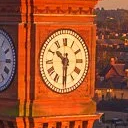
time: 10:30
